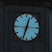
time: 12:33
